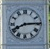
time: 8:14
